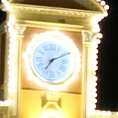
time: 7:10
